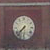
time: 7:37
